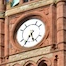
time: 5:35
